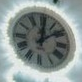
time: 12:08
